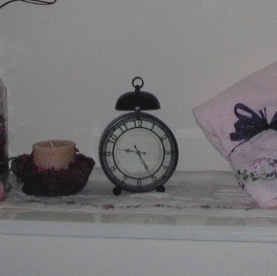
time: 9:25
